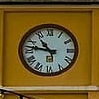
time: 10:47
